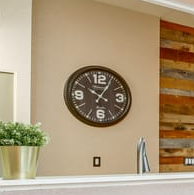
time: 10:05
